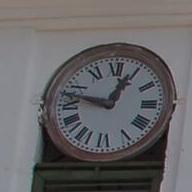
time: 12:47
